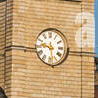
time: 9:28
